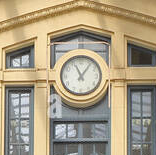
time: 11:06
